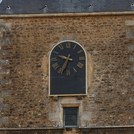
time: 9:34
